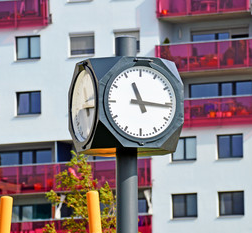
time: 11:15
